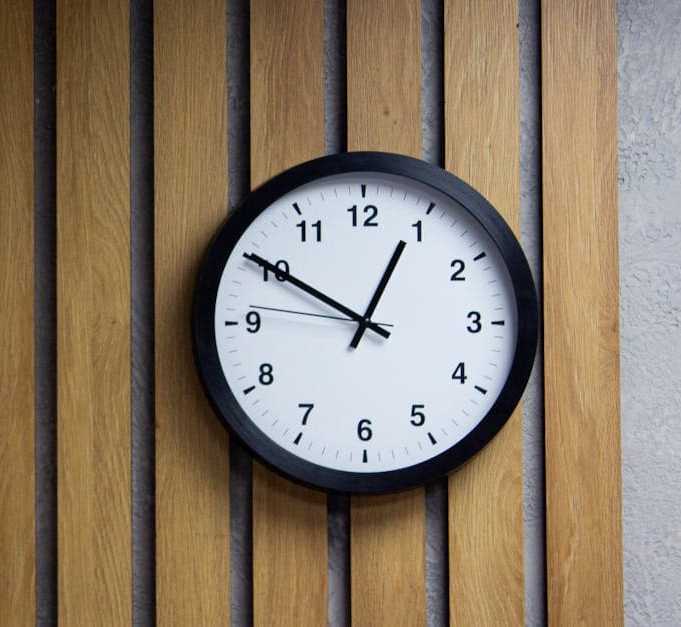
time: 12:49
